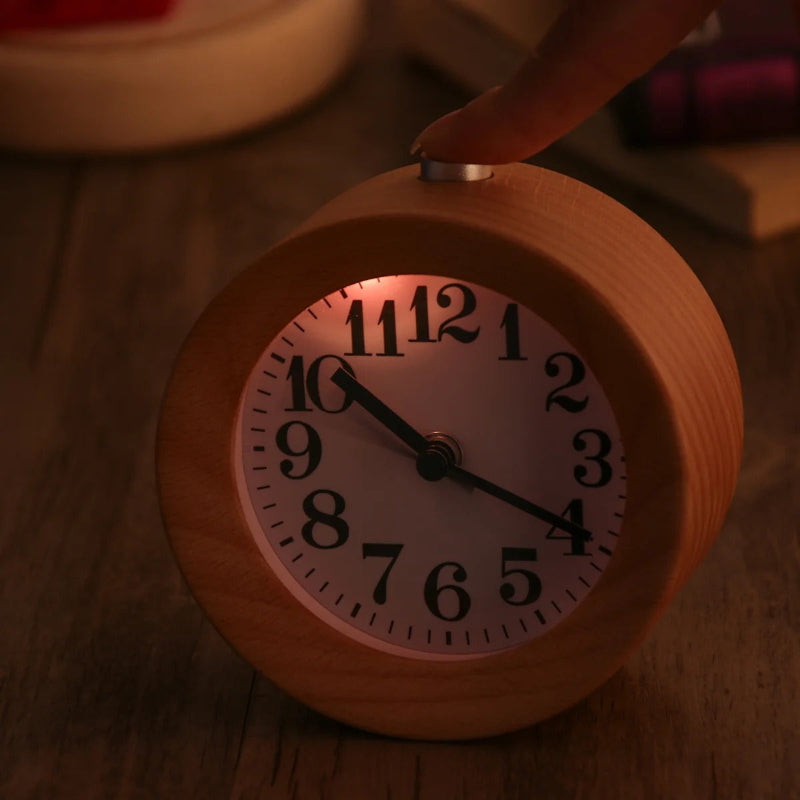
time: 10:19
